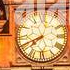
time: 7:41
